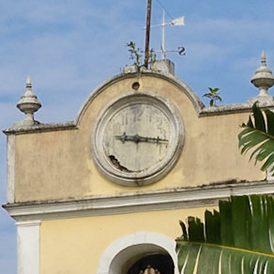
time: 9:15
